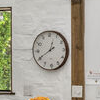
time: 12:40
